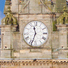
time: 11:33
